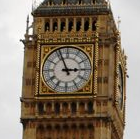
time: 2:56
